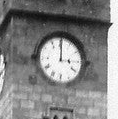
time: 3:00
